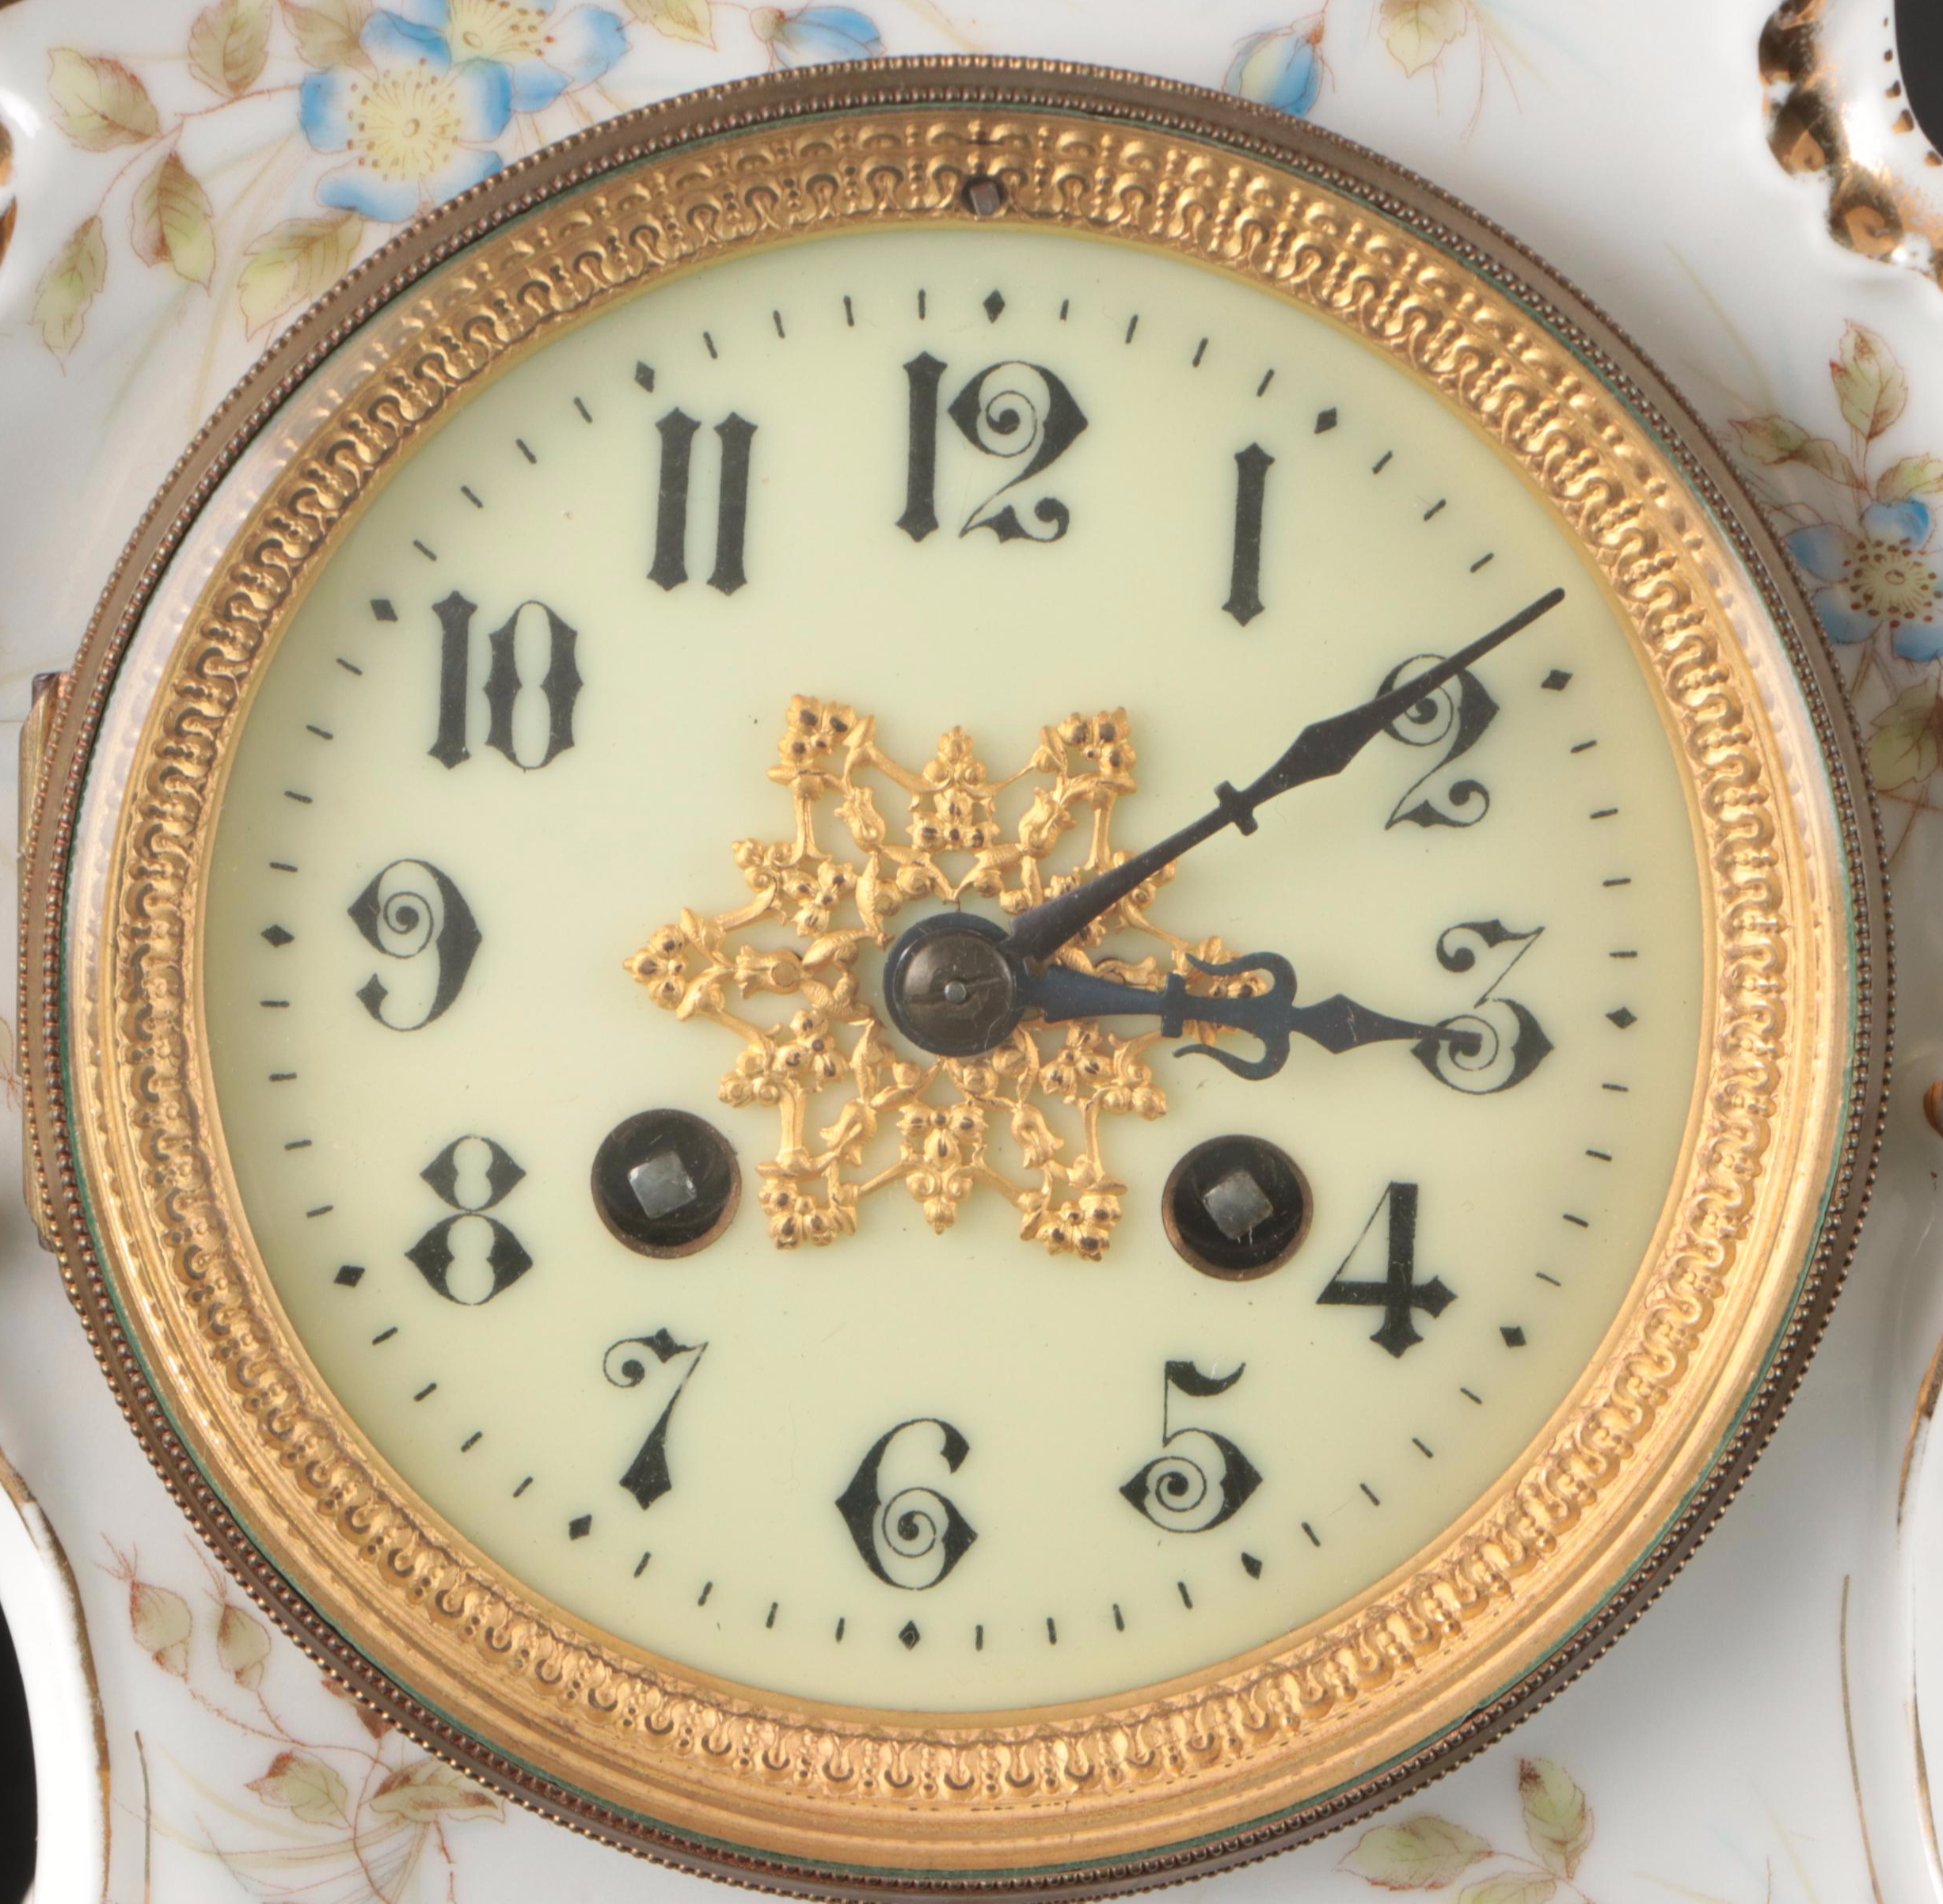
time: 3:08
